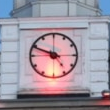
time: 4:49
